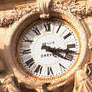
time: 4:17
